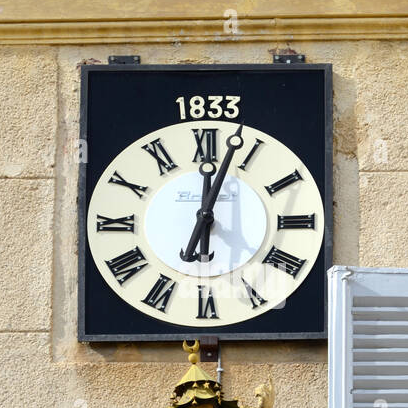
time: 12:03
